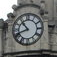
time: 10:41
